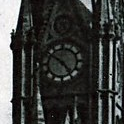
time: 4:50
